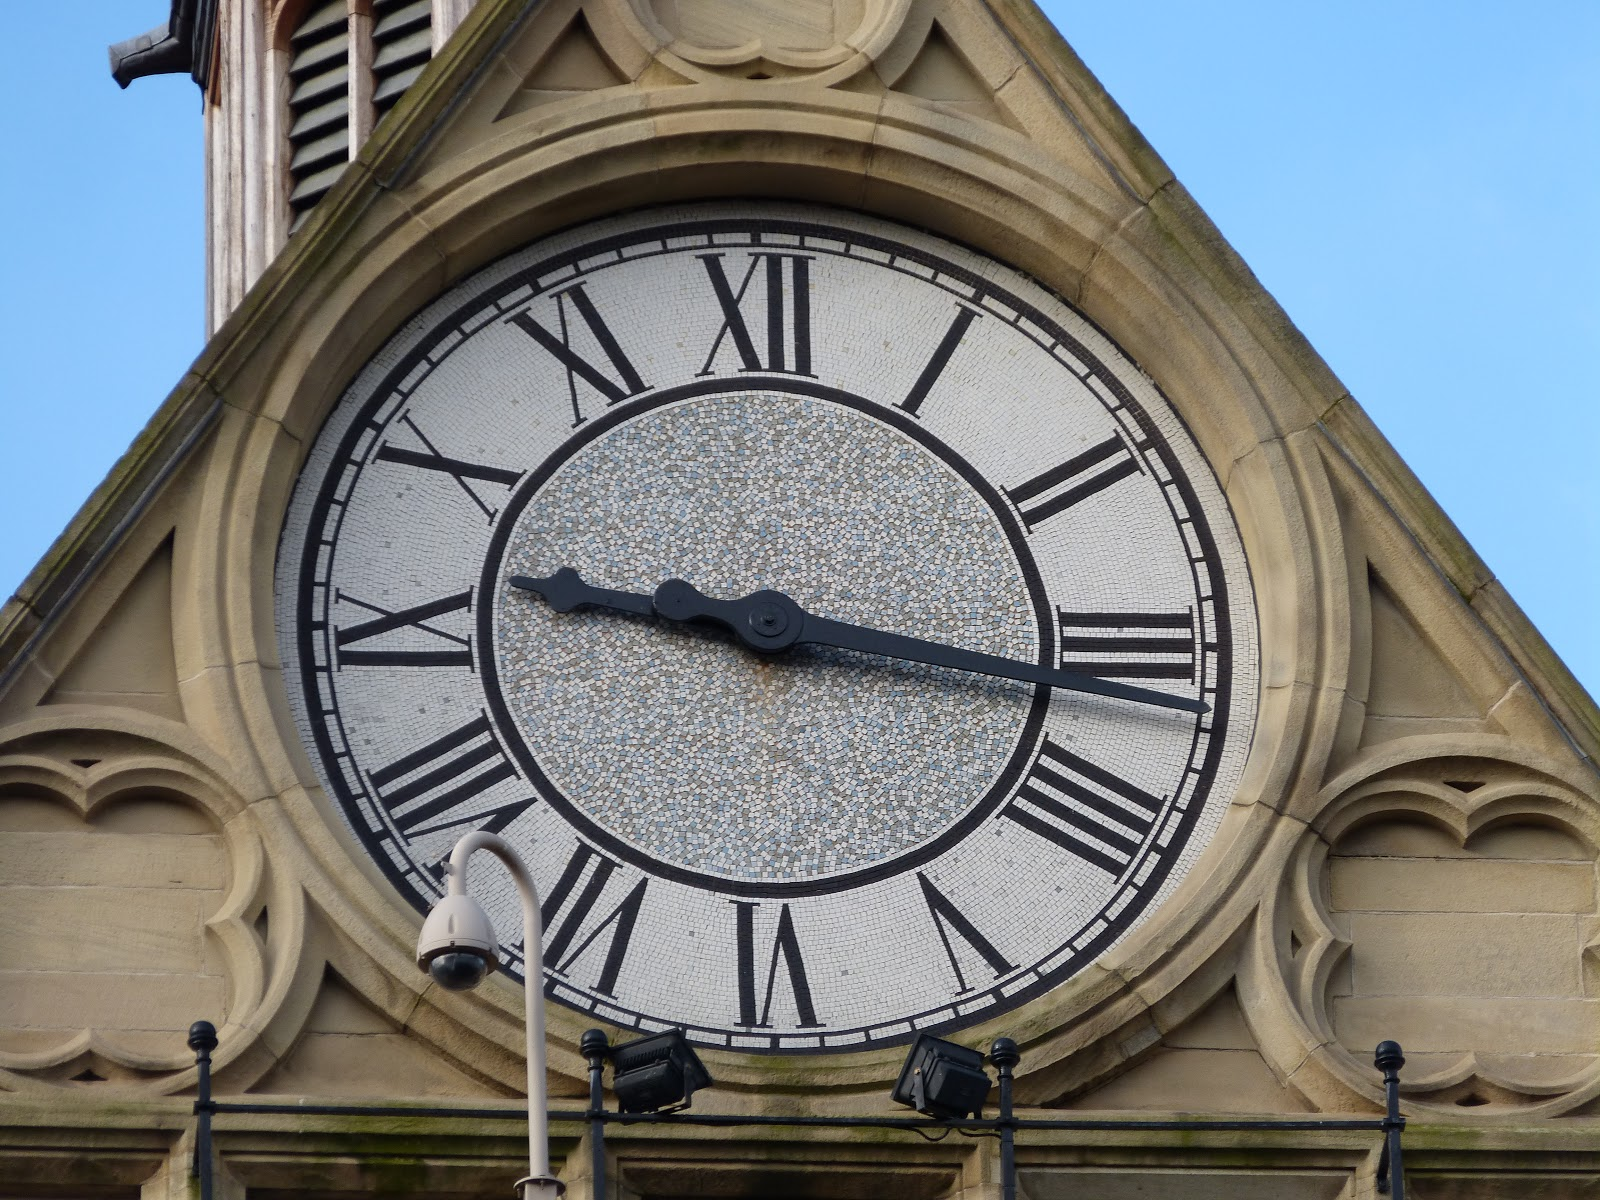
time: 9:16
